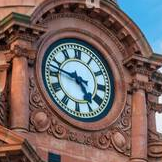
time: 4:47
